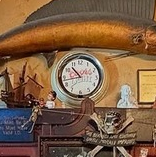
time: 10:42
